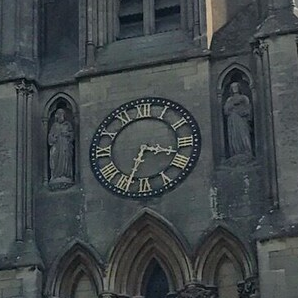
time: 3:34
